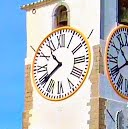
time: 10:39
